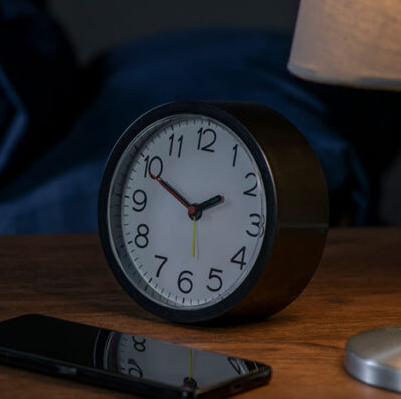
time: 1:49
